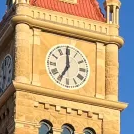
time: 6:59
